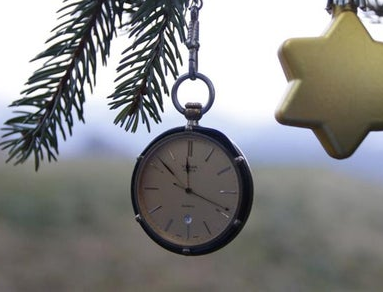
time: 11:52
